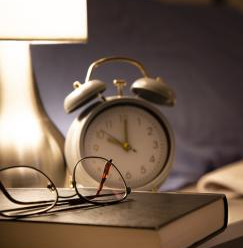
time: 10:00
